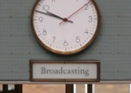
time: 9:48
